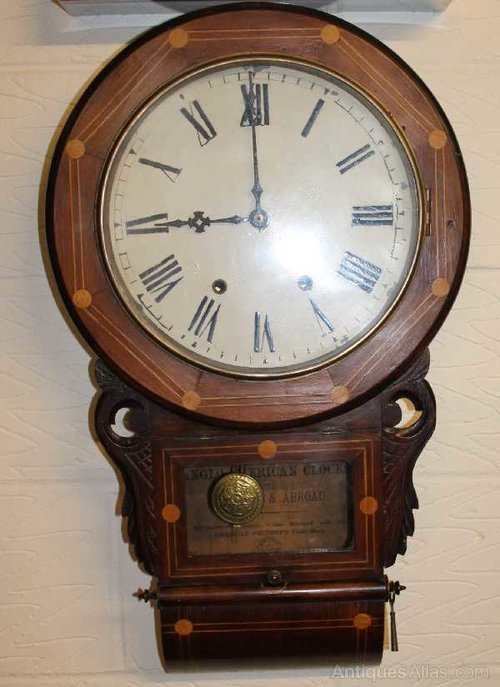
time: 8:59
